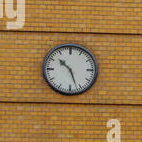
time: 10:26
